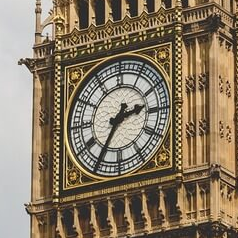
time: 2:35
